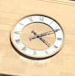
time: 4:10
